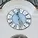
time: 11:28
